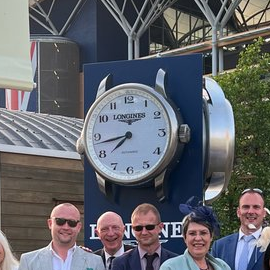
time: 7:43
